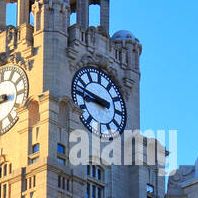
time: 8:47
